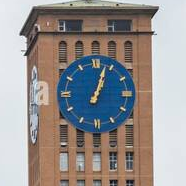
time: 1:03
